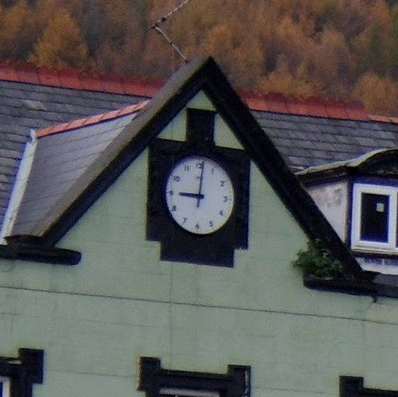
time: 9:01
